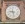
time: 9:27
